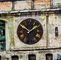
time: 1:50
